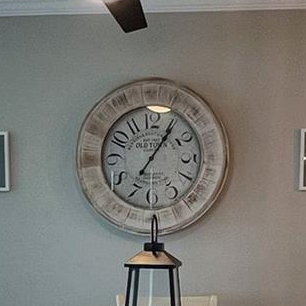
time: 1:05
